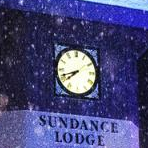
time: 7:41
